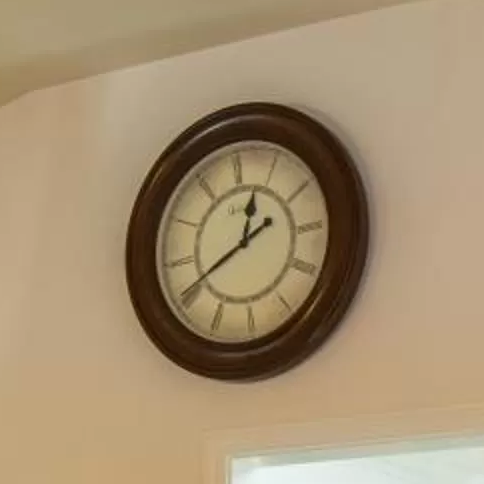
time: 12:40
